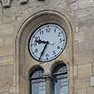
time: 9:34
